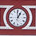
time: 12:59
